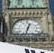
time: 12:32
